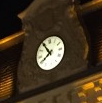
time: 7:54
